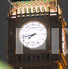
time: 7:42
